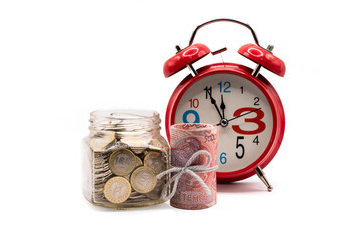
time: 11:55
